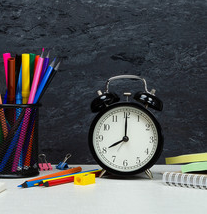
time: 8:00
